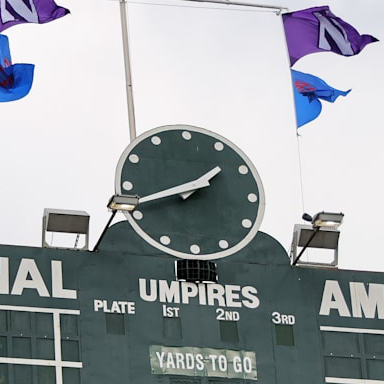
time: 1:41
